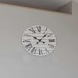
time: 10:07
